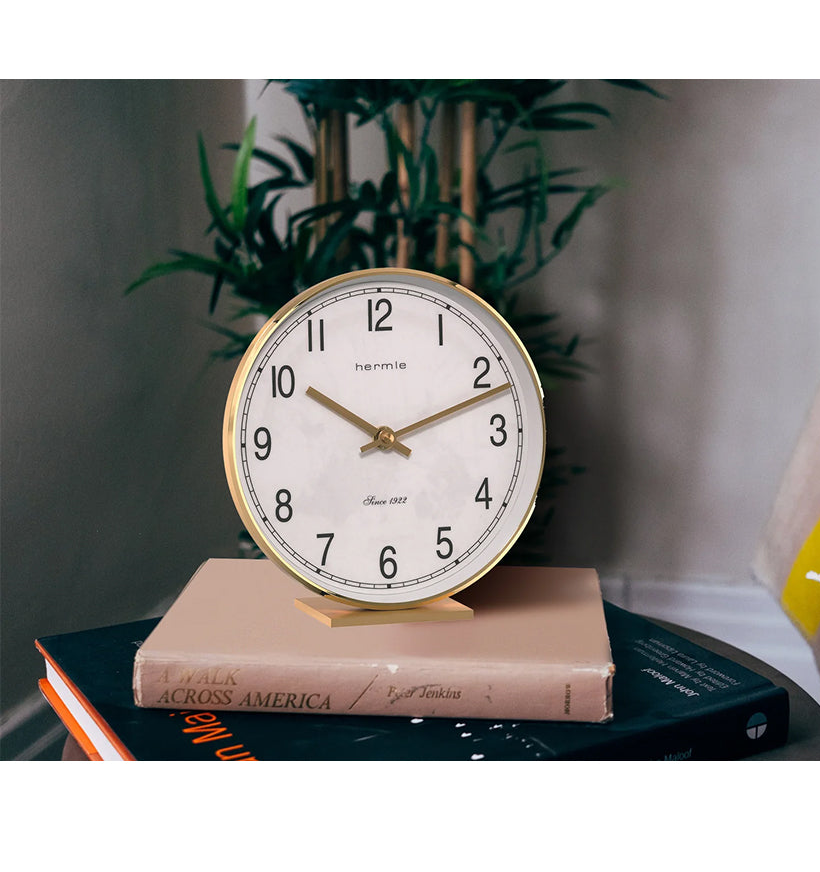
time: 10:11
